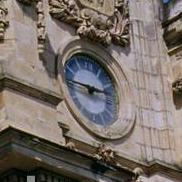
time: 2:45
